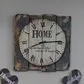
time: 8:14
